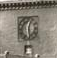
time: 12:28
